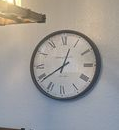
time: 12:39
